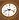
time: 8:18
